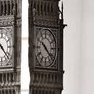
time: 10:22
